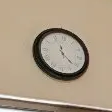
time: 11:21
